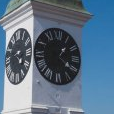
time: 1:20
